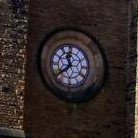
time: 11:38
